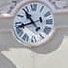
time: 10:42
